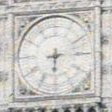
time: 6:14
